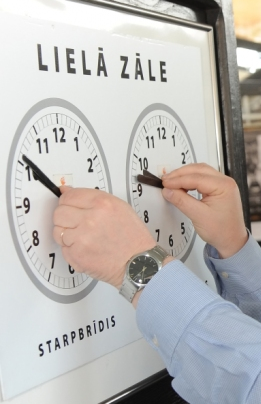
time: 9:50
